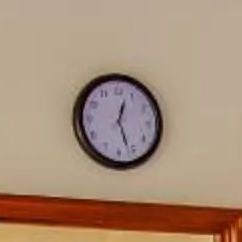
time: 12:26
